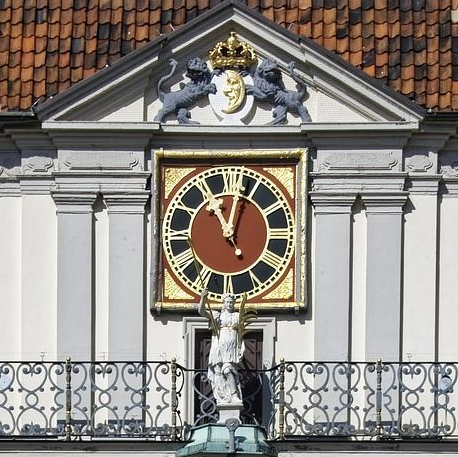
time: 11:02
